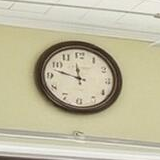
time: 11:47
